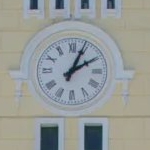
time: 2:04
